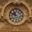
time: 10:48
